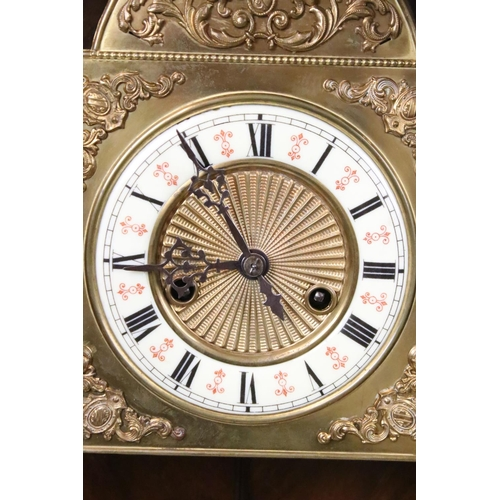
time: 8:54
